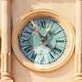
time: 1:22
